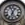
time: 12:56
